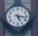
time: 5:16
